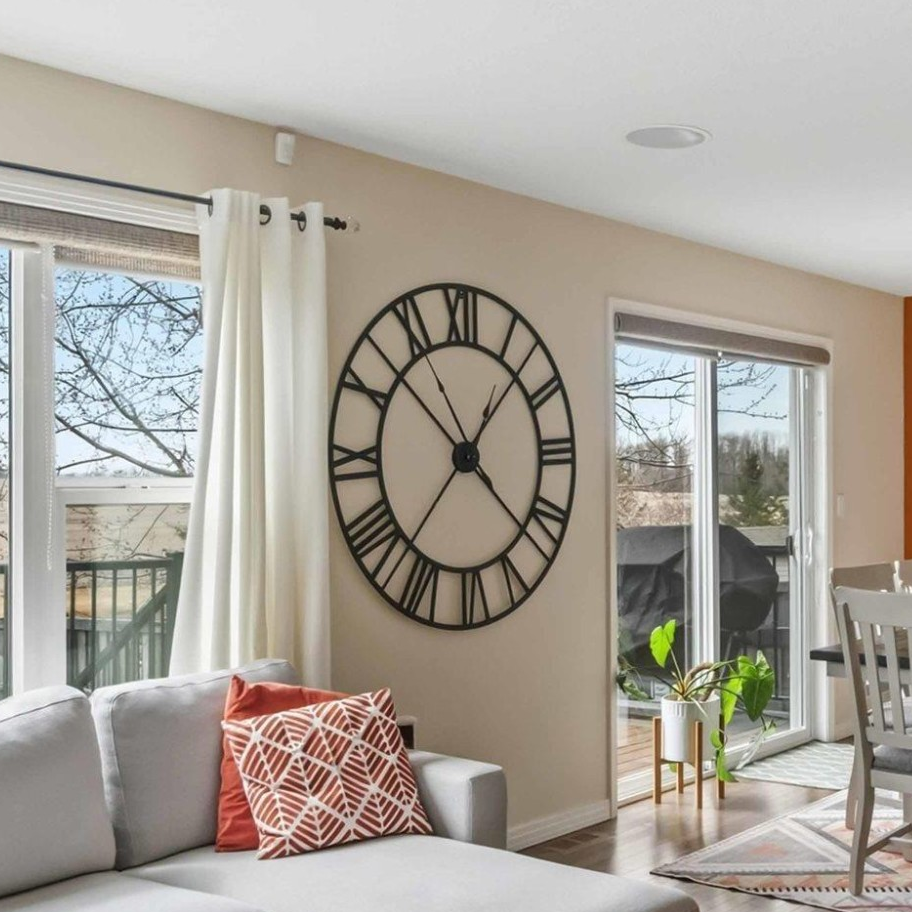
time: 1:22
